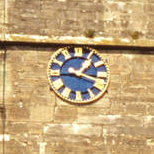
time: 1:18
